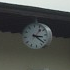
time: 3:22
